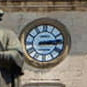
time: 3:13
